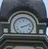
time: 2:11
